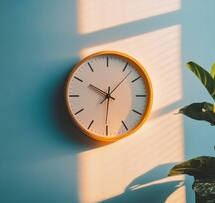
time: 10:07
